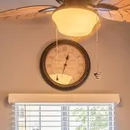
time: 12:33
